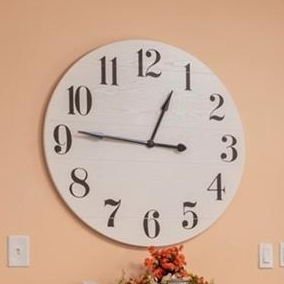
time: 12:46
